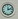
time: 12:12
